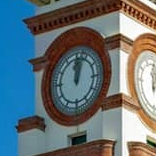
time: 12:02
